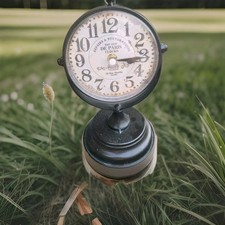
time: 3:14
